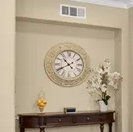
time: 10:40
